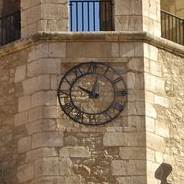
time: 10:02
